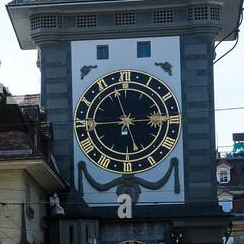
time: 2:57
